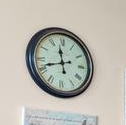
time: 11:42
